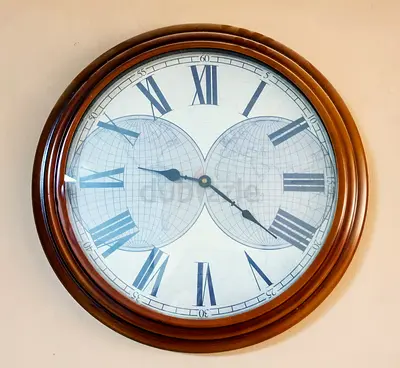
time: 9:21
